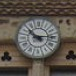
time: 10:14
